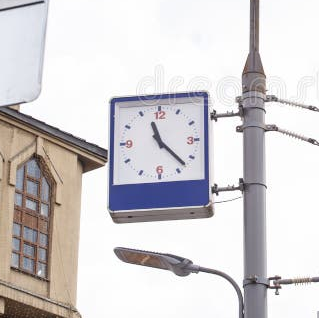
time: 11:22
